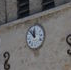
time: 11:52
